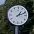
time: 1:11
